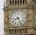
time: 8:25
